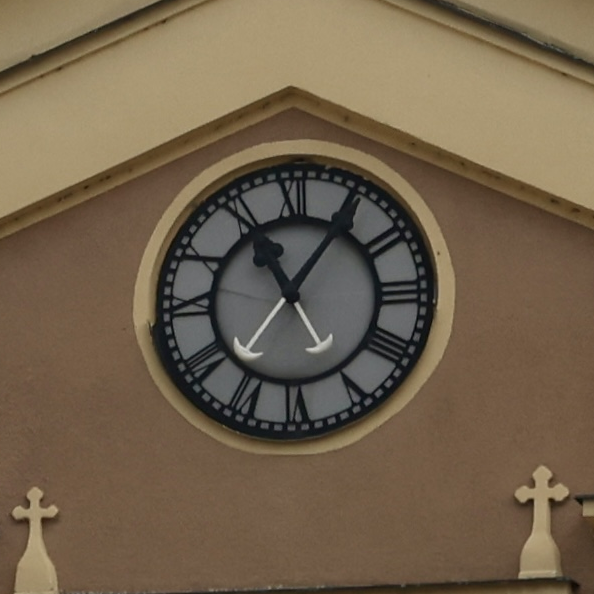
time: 11:05
